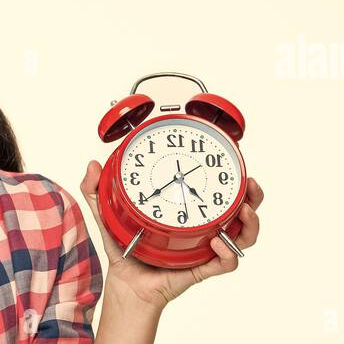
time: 4:38
